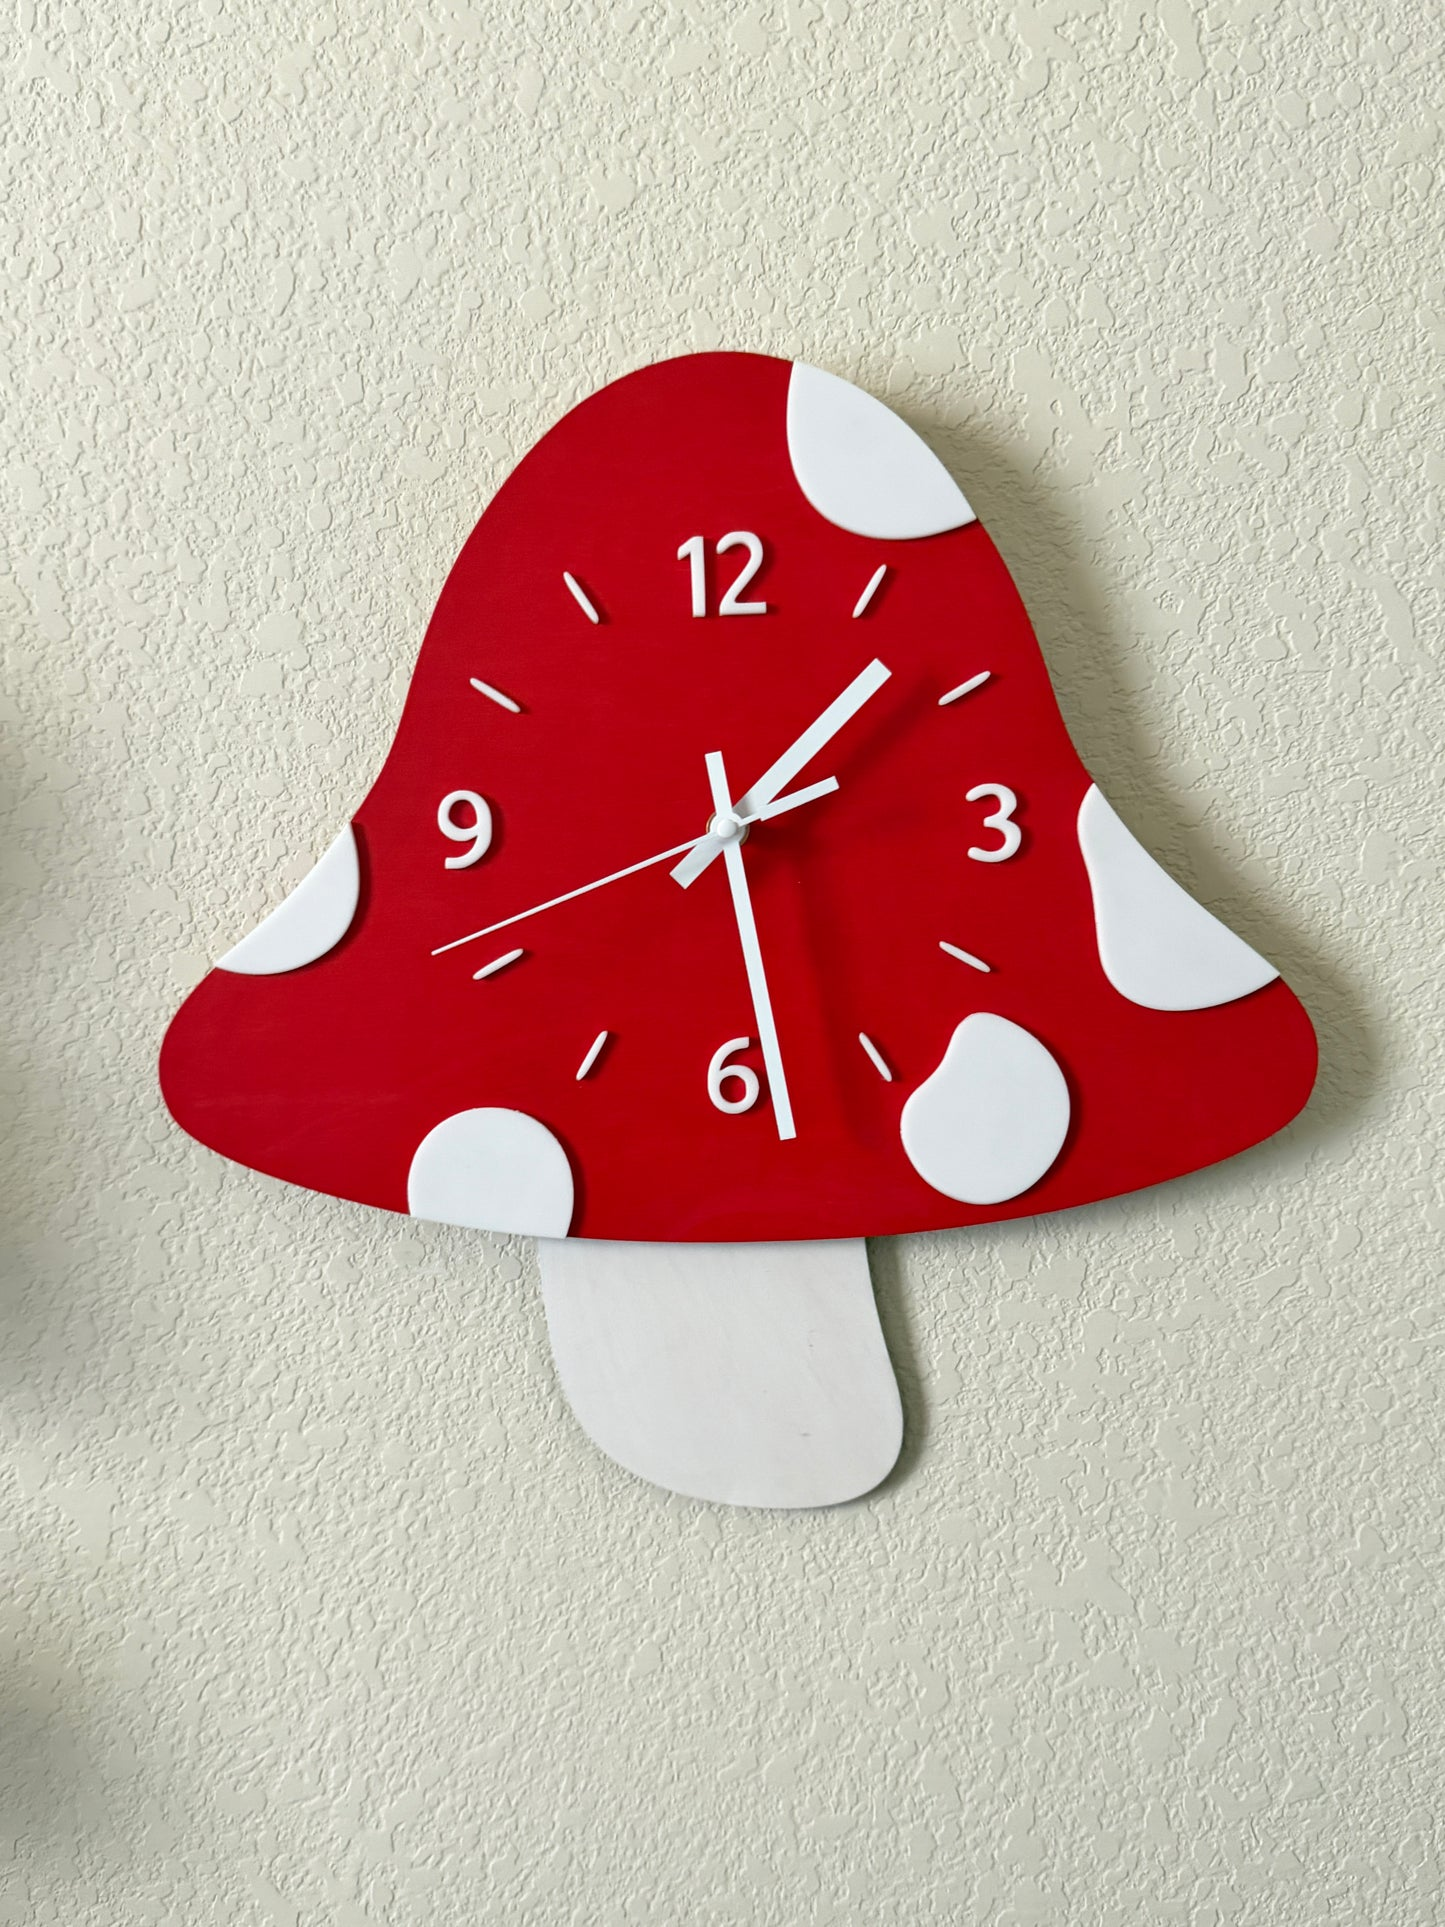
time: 1:28
